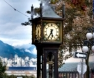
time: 5:34
